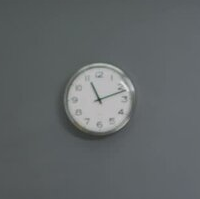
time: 11:11
